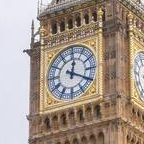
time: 12:19
